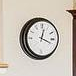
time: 12:18
